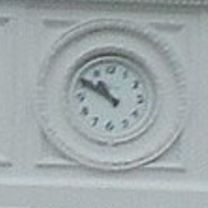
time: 10:50
